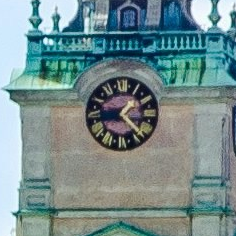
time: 1:22
